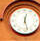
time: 12:28
